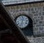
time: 12:32
